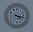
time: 4:16
